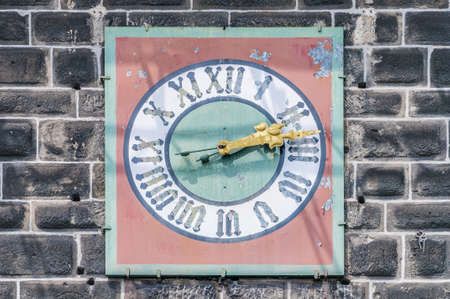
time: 2:13
